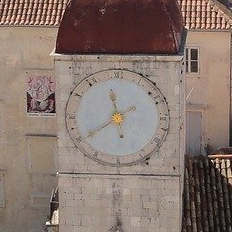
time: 11:39
